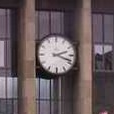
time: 2:18
